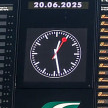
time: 12:28
